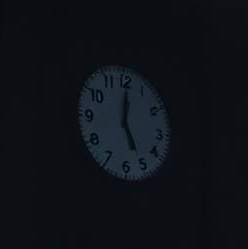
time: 5:00
